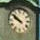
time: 9:50
